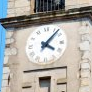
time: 4:07
